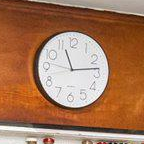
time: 11:13
